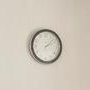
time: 2:08
